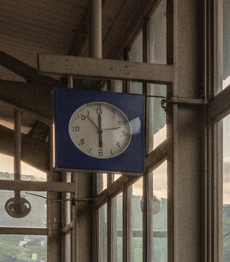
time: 5:59
